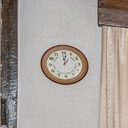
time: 1:01
